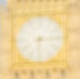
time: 6:14
